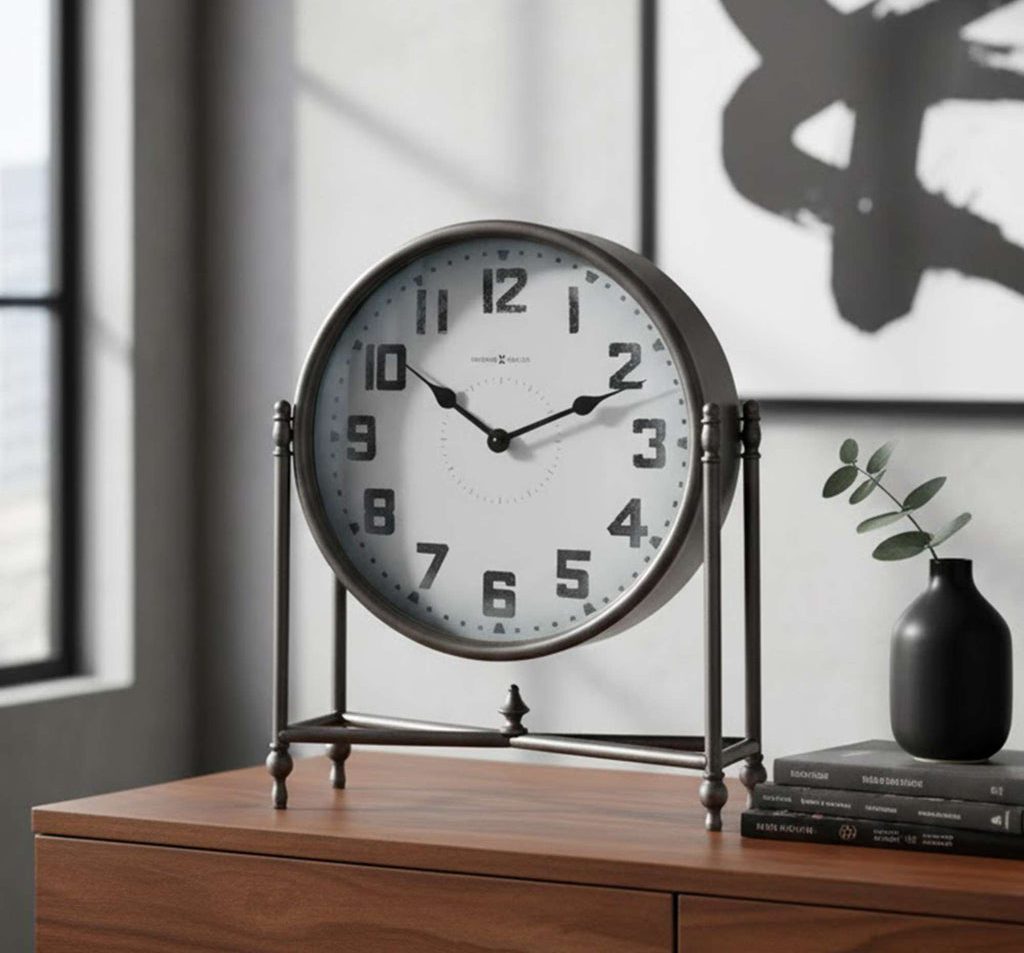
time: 10:11
